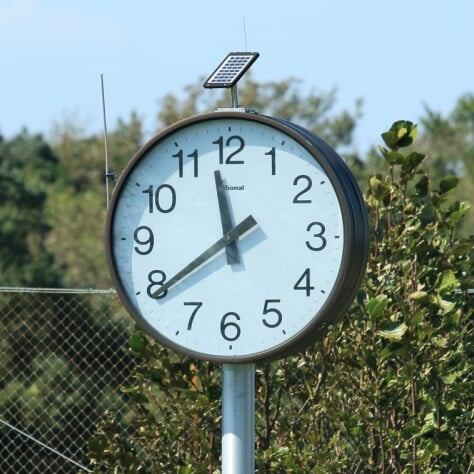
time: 11:39
